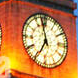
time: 6:57
